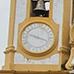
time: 3:47
